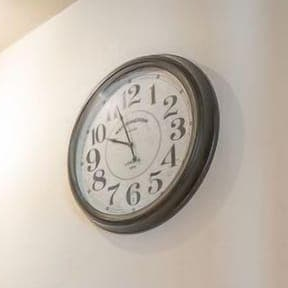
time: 9:56
